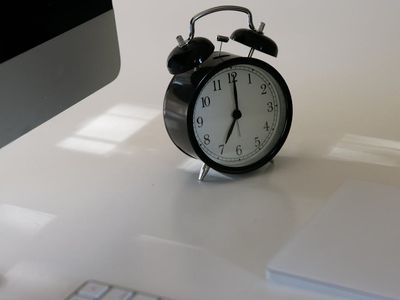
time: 7:00
